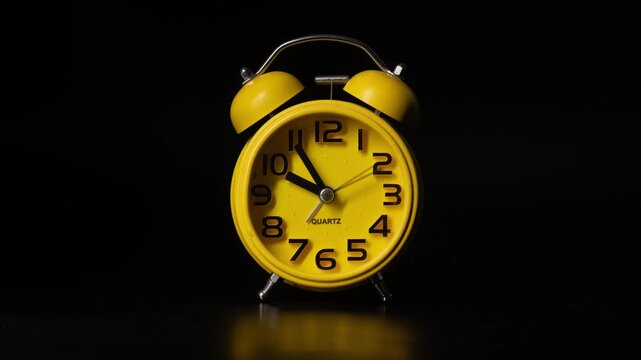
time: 9:54
